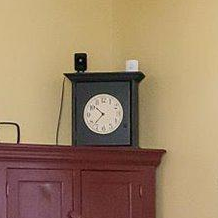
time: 7:51
